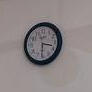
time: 3:30
